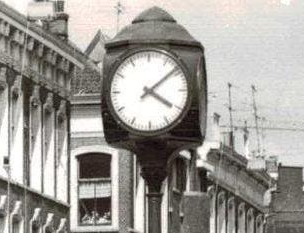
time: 4:08
